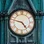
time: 4:47
